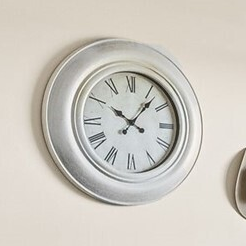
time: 10:07
